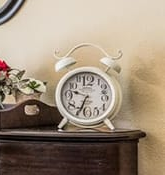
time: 9:33
